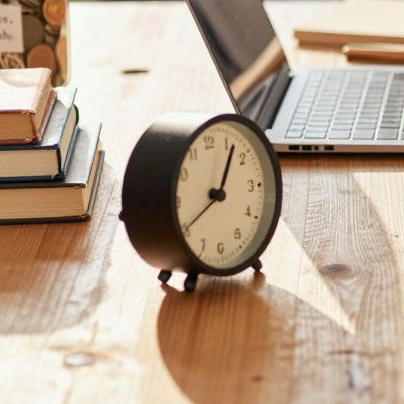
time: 8:06
